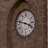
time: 3:47
